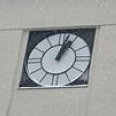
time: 1:02
